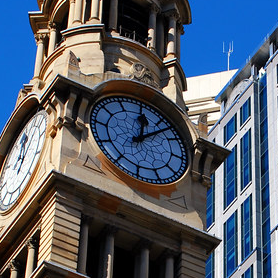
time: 12:07
